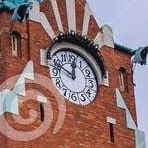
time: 11:48
